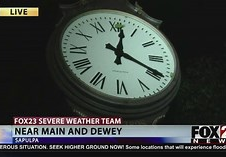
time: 12:19
